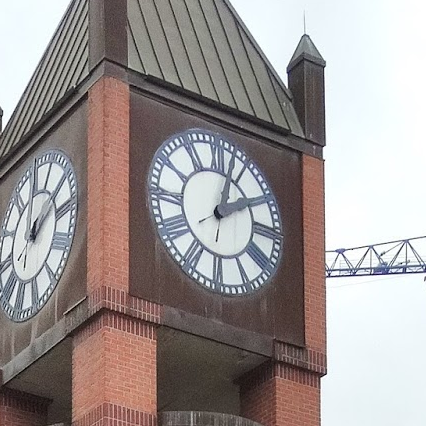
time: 2:02
